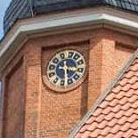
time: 3:28
